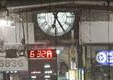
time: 6:24
